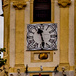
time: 11:28
